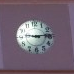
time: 9:14
